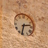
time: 2:32
